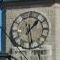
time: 1:28
